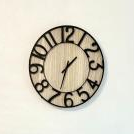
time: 1:33
